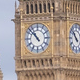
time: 10:52
